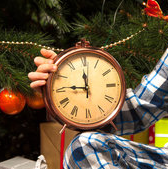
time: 11:46
